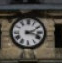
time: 2:18
